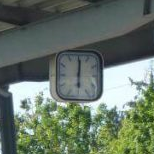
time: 6:00
